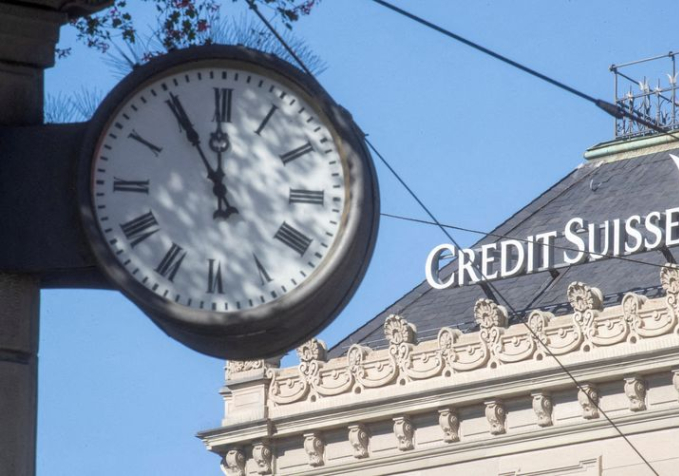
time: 11:55
